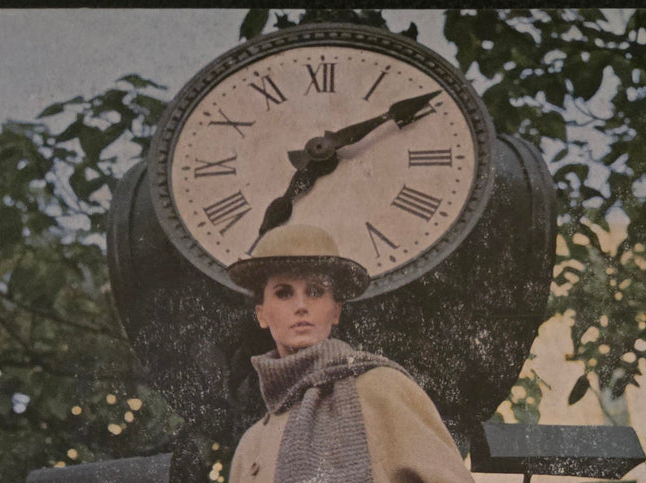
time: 7:09
